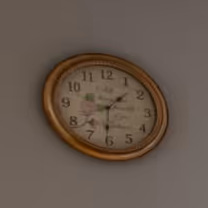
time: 1:30
